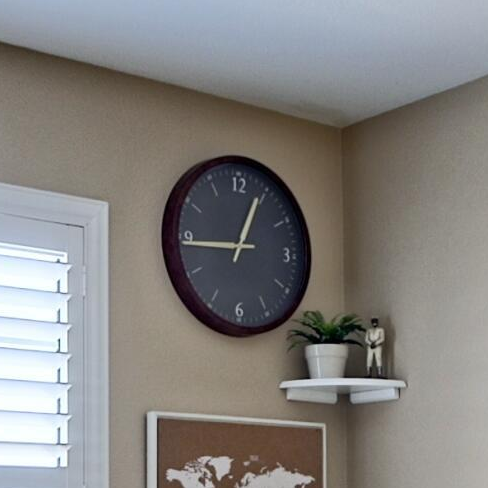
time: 12:44
